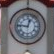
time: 12:46
